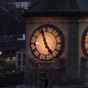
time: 4:56
